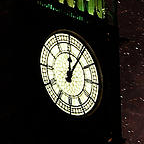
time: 12:05
